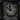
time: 11:50
